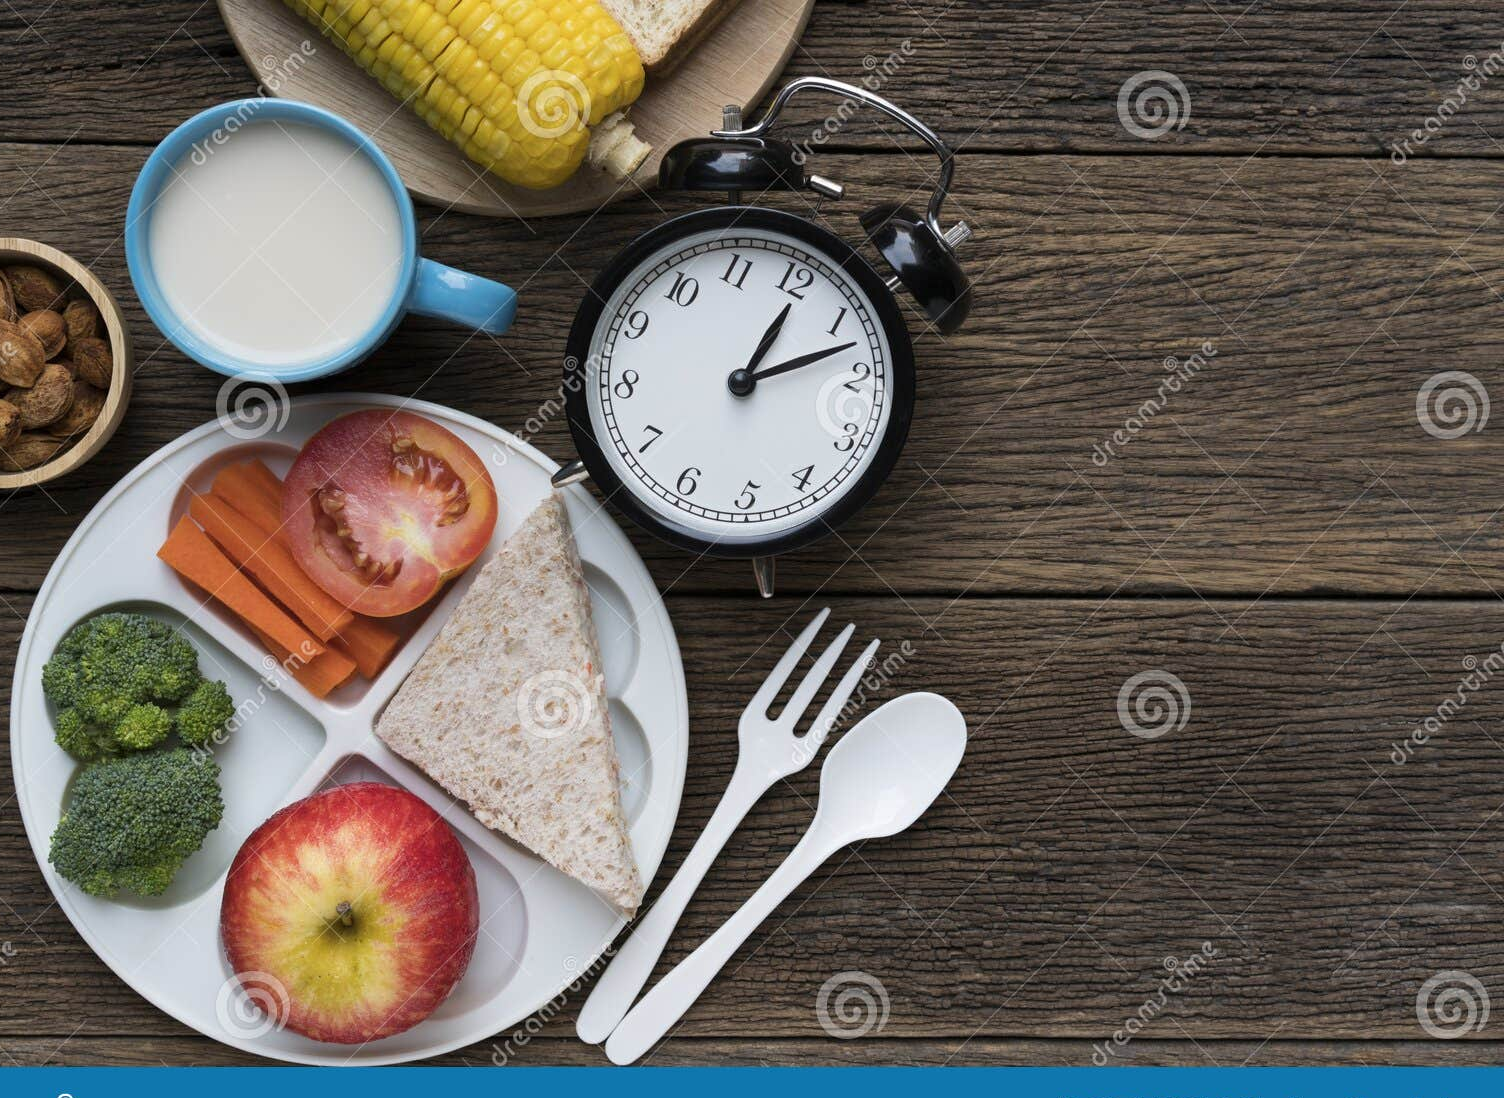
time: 1:12
